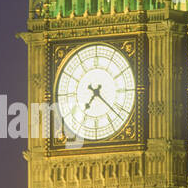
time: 7:21
